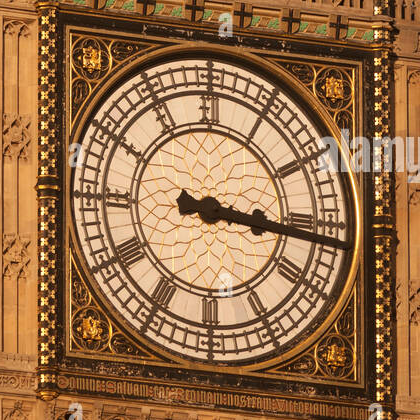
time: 3:16
